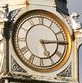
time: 5:14
